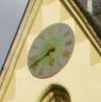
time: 5:40
